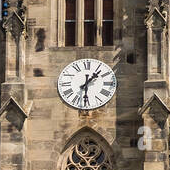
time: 1:30
